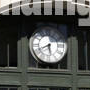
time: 5:40
